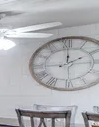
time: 2:00
